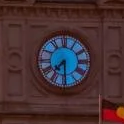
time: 7:30
